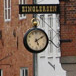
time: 5:09
